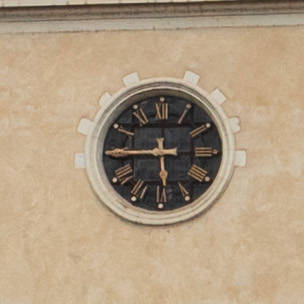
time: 5:44
